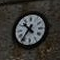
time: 10:36
